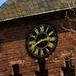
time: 2:40
